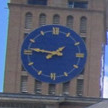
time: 1:46
